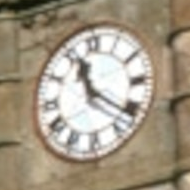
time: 11:21
